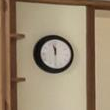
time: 11:57
